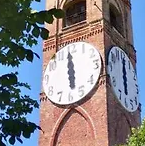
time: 5:59
